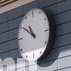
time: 10:50
